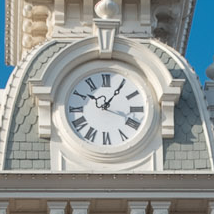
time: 1:18
